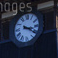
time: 3:20
